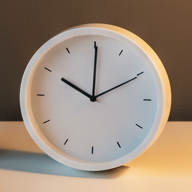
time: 10:00
